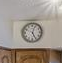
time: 5:03
